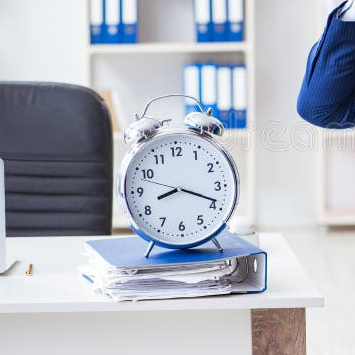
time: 8:18
